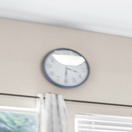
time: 3:30
